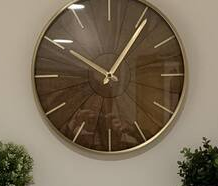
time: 10:05
